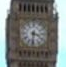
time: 3:31
